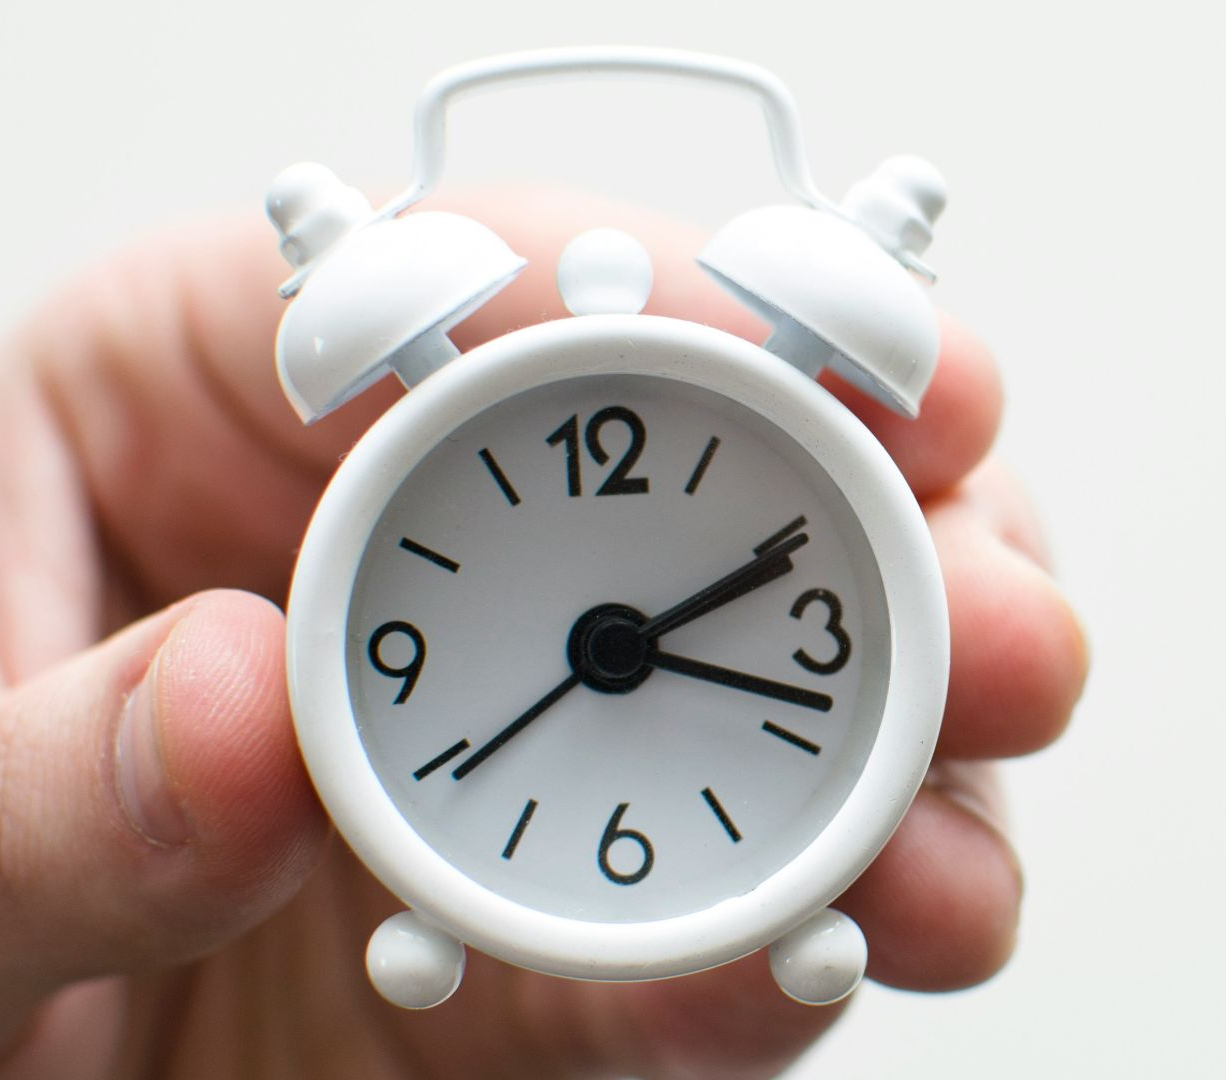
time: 2:18
